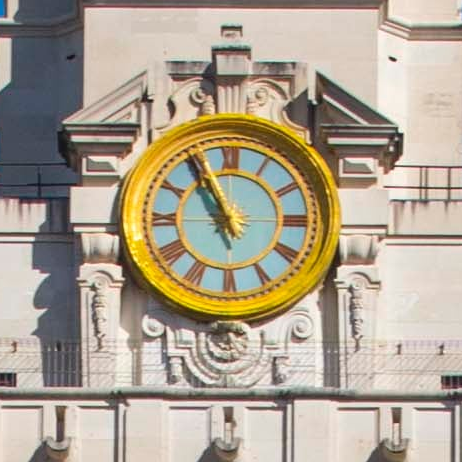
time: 10:56
